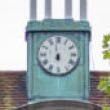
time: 5:57
